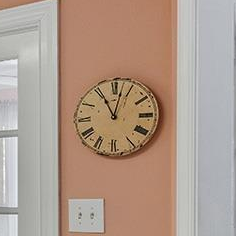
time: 11:02
